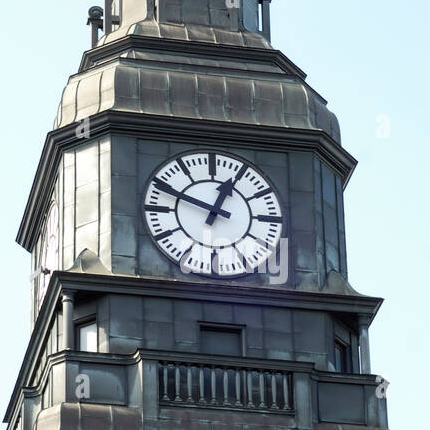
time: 12:49
